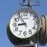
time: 8:54
